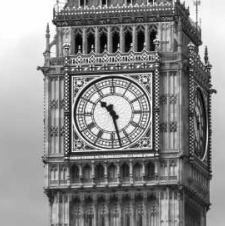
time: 10:27
